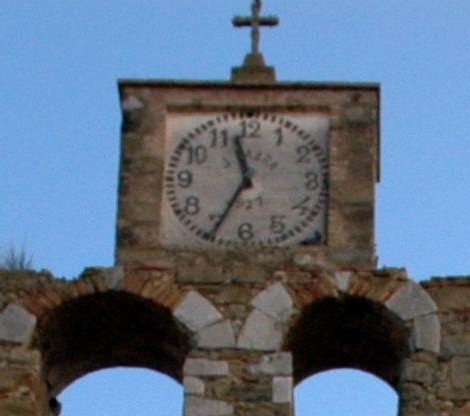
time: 11:34
